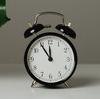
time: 11:54
